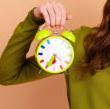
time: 6:34
